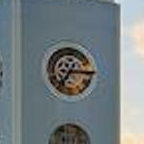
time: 7:15
